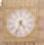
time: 4:33
